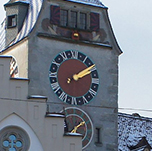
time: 2:09
